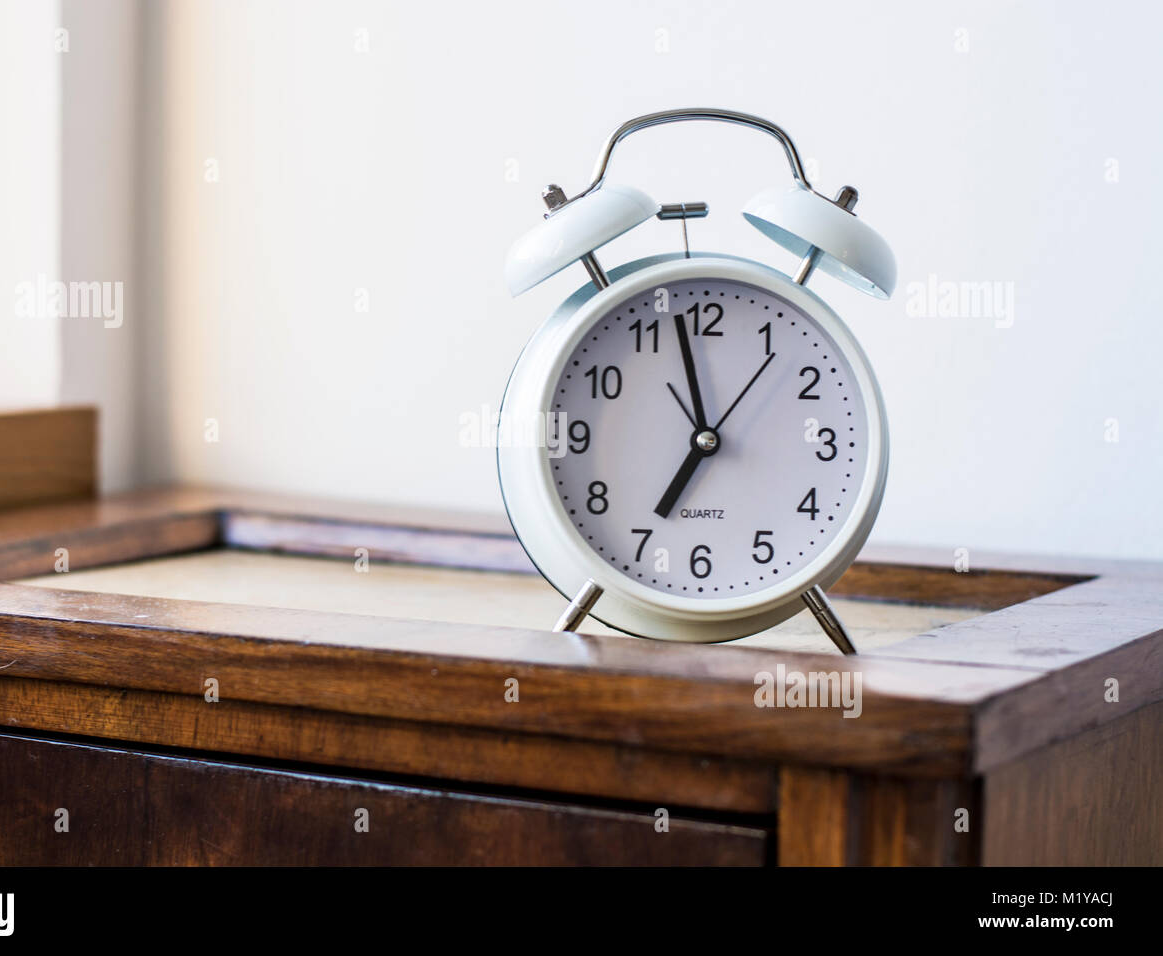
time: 6:58
